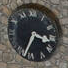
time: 3:34
